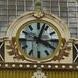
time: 4:03
